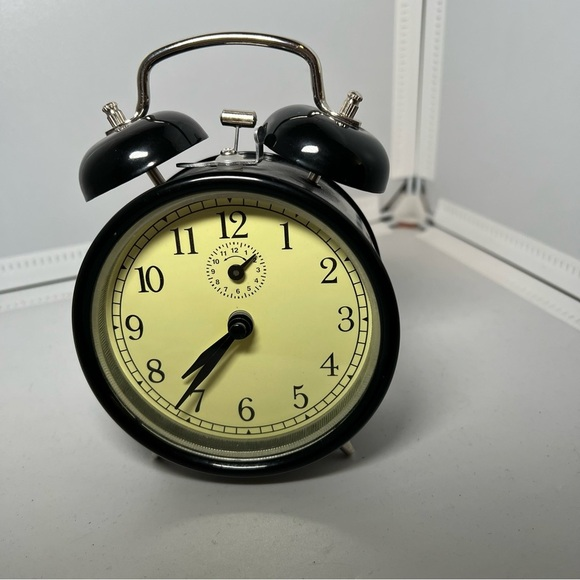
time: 7:36
